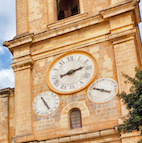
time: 8:12
